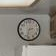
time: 2:32
